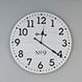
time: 12:20
